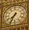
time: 7:34
